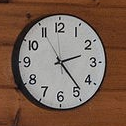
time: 2:23
